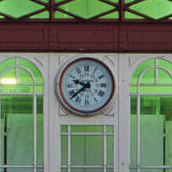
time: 9:38
